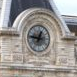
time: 12:46
